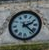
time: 2:22
